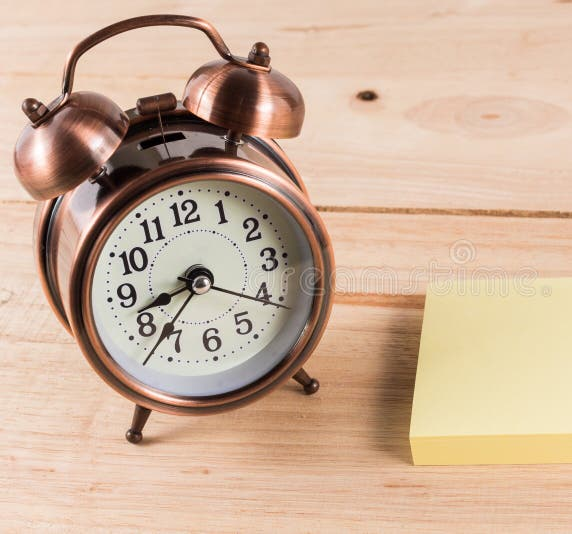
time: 8:37
